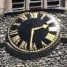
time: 2:31
